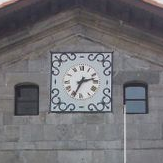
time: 2:34
